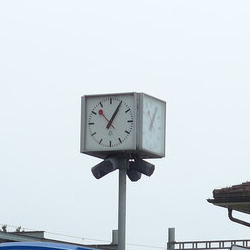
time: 1:05
